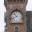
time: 10:41
